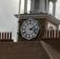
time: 2:18
